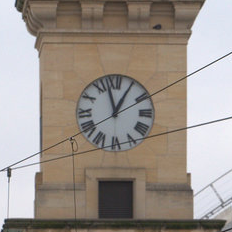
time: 12:57
